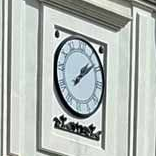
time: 1:08
